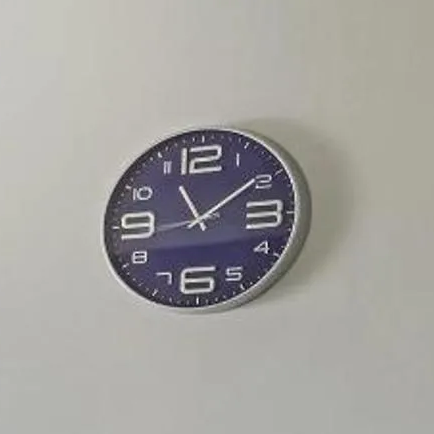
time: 11:08
